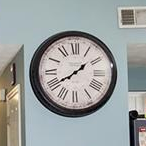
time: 1:39
